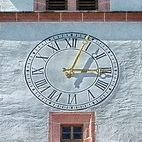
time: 3:03
